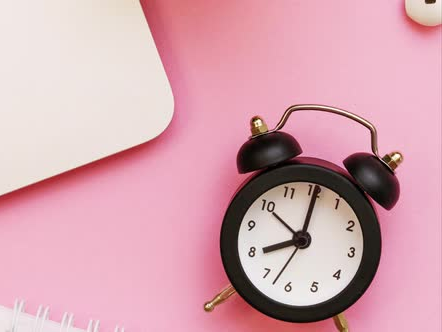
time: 8:00
